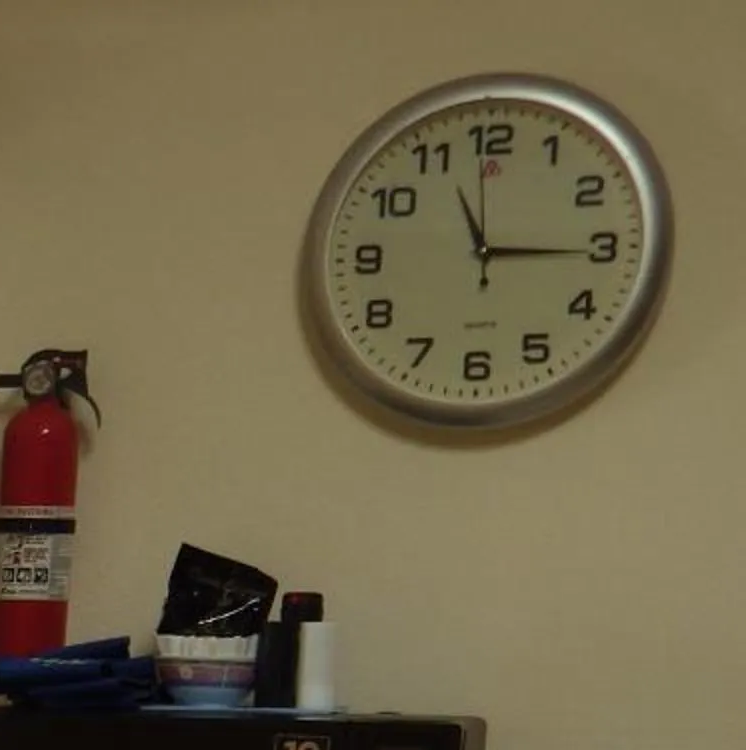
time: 11:15
